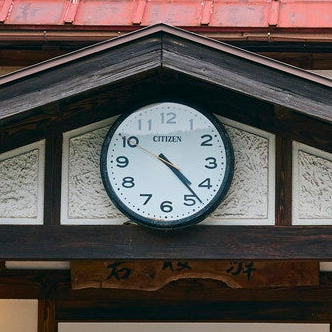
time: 4:23
